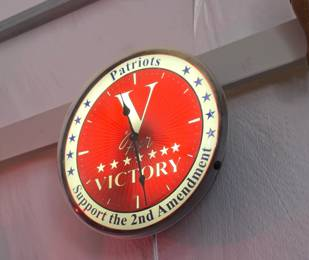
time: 11:28
